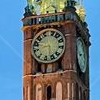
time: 8:27
